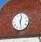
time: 12:28
